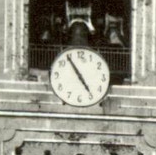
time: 4:54
